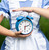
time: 6:11
